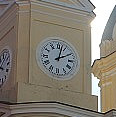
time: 2:02
